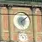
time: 5:08
